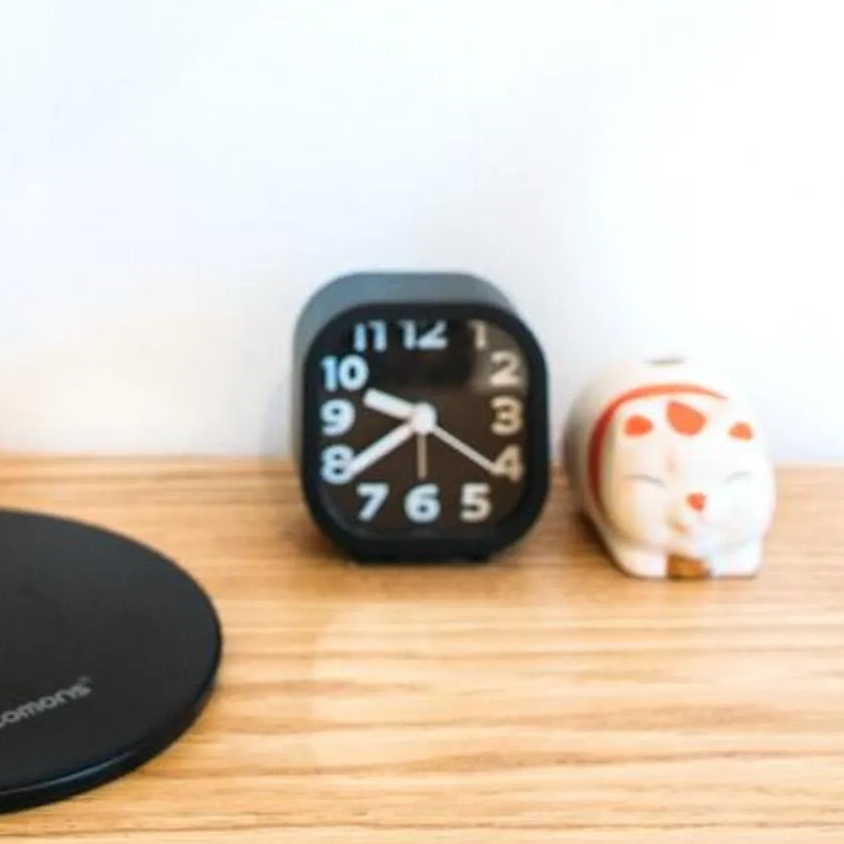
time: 9:38
